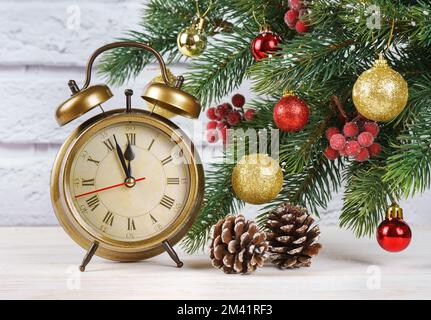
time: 11:56
